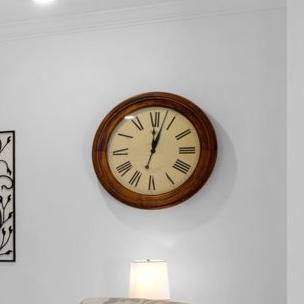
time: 12:02
